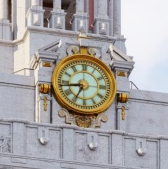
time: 6:43
